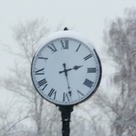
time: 2:28
